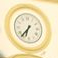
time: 6:36
